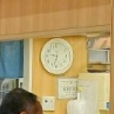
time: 9:32
